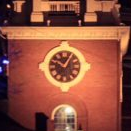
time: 10:04
